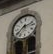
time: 2:38
